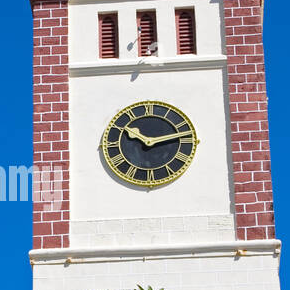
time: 10:12
